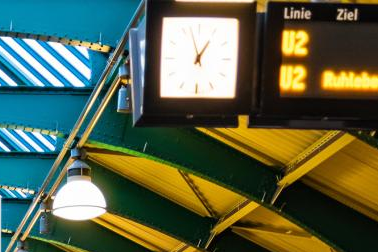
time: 12:57
